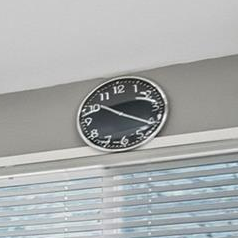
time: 10:20
